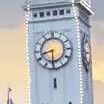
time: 8:30
